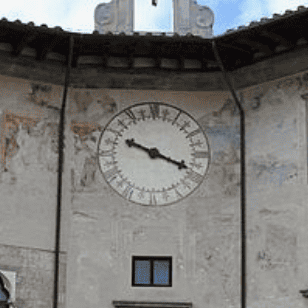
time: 3:48
